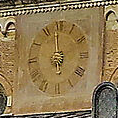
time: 5:59
